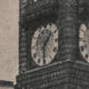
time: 1:30
